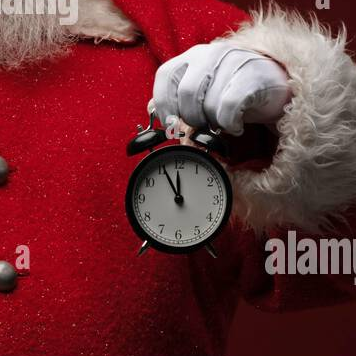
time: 11:55
